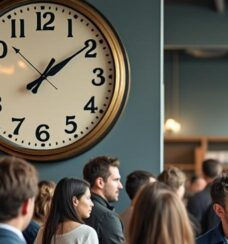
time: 1:09
